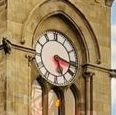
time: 5:16
